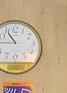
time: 10:45
